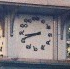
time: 8:41
